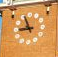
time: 8:56
